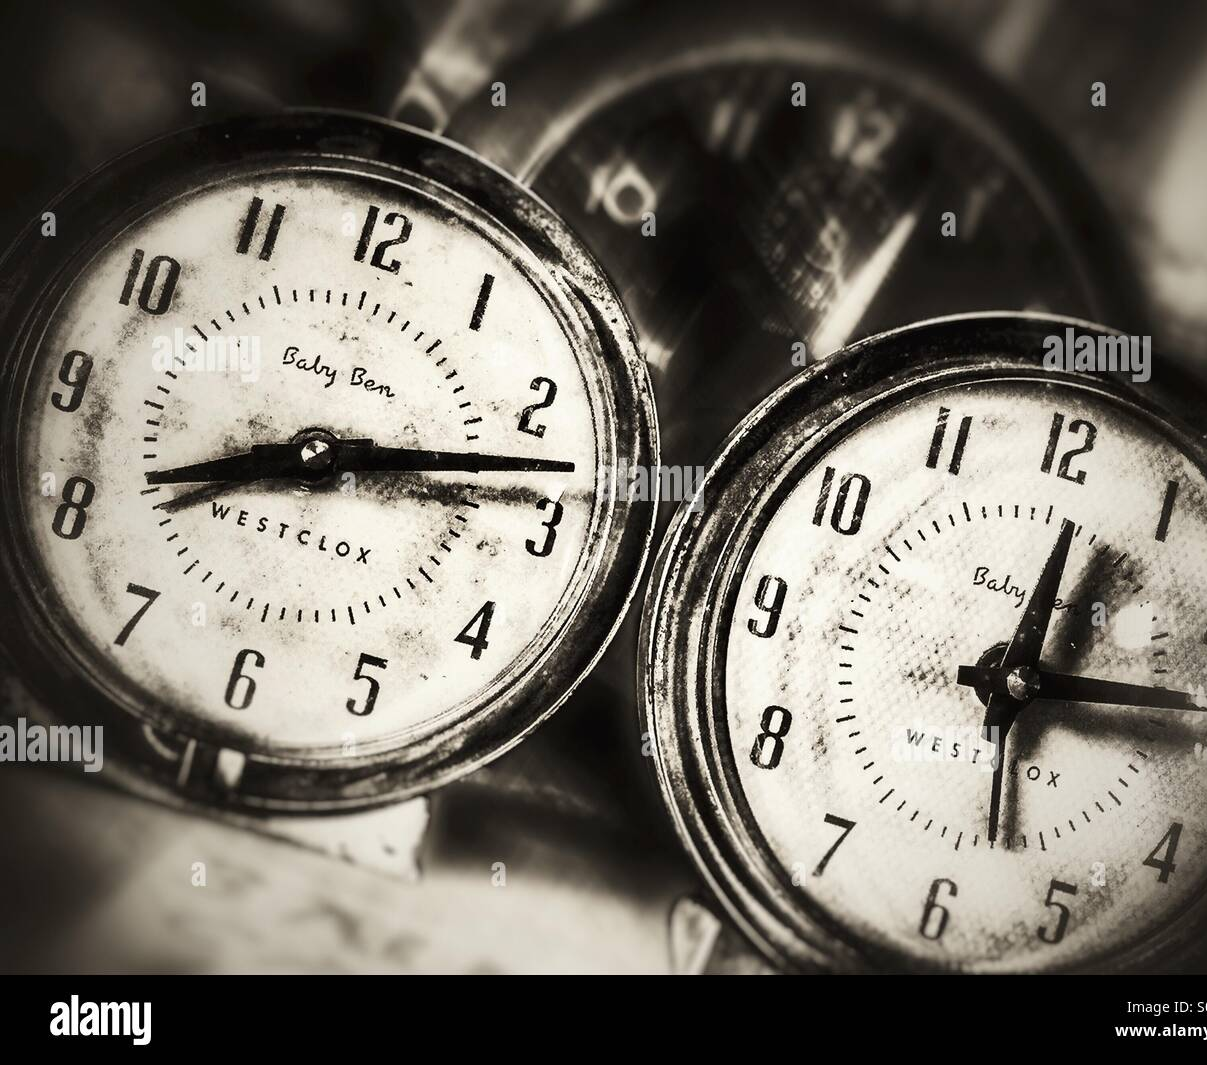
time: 8:13
